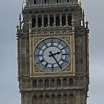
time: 2:25
